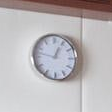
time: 12:47
